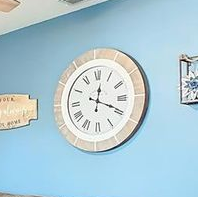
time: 12:19
